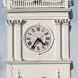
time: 4:35
